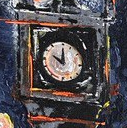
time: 10:00
